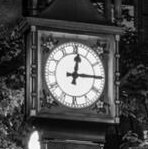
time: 12:14
